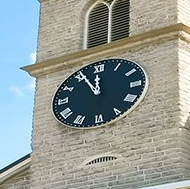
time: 11:55
